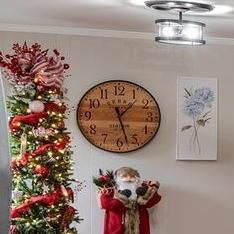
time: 1:27
